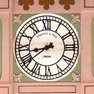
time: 8:38
